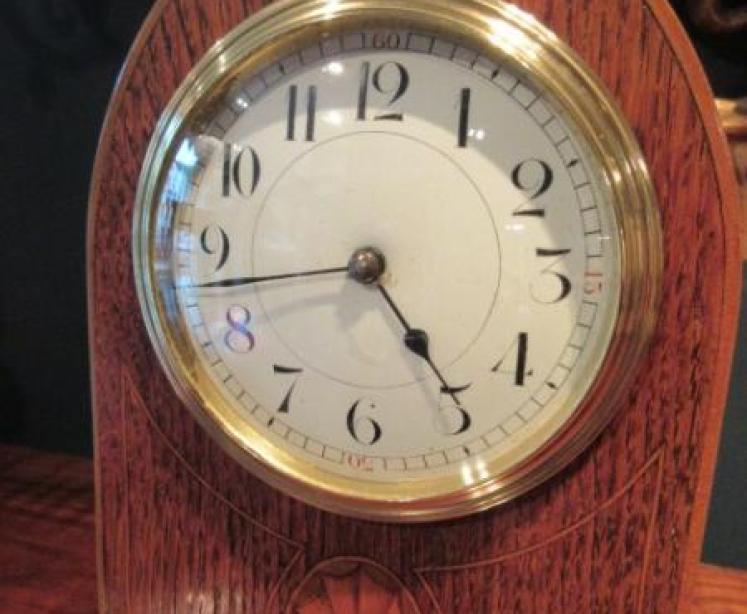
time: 4:42
